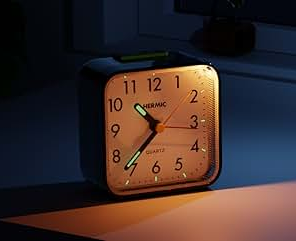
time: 10:37
